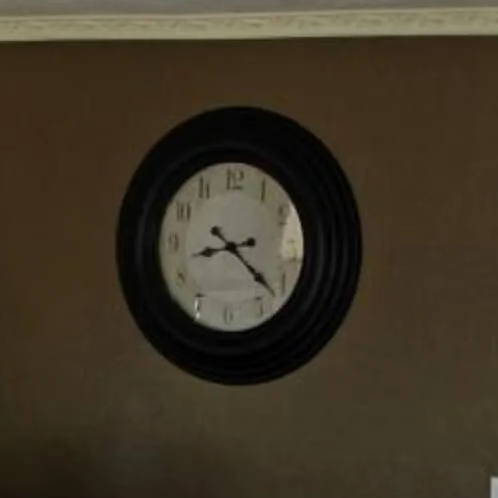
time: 8:21
